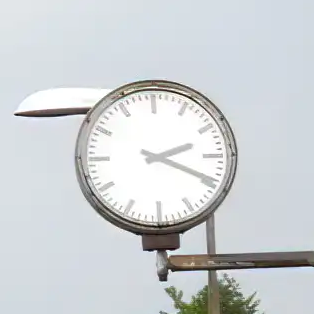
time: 2:19
